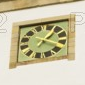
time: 1:19
